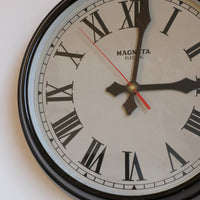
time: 12:14
